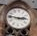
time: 2:46
